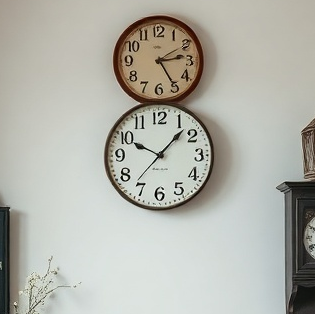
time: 10:07
